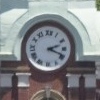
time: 2:18
